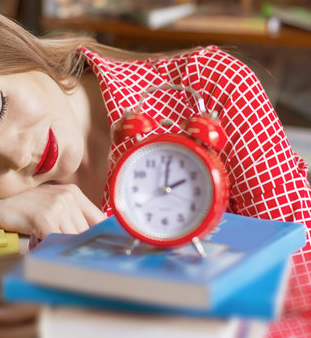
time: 2:01
